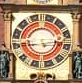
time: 2:44
